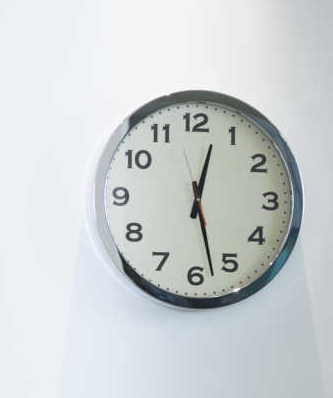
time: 12:27
